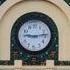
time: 9:13
